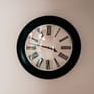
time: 3:46
